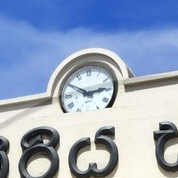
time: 2:50
